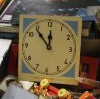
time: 11:53
